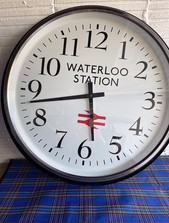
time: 5:43
